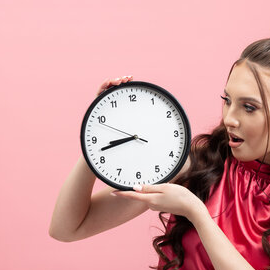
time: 8:42
